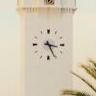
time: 3:25
